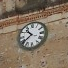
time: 10:39
